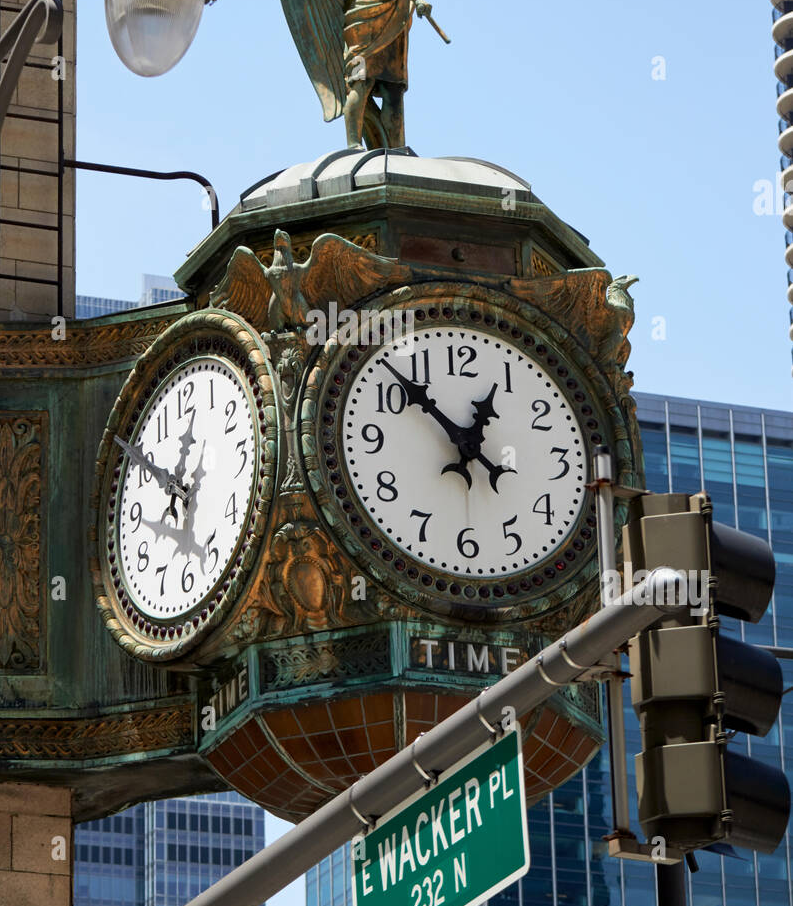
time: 12:52
